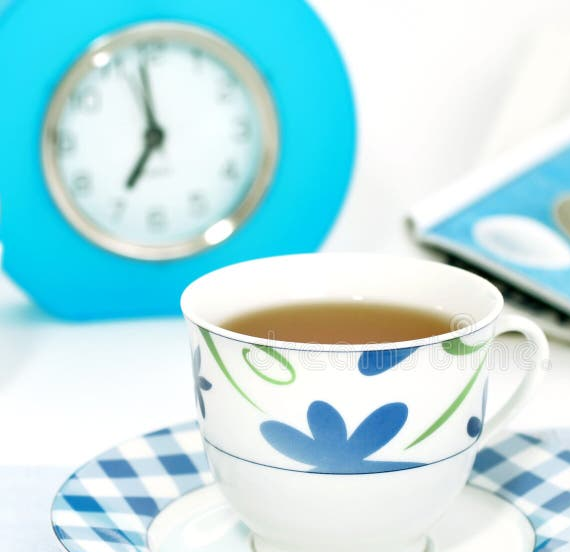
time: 6:58
